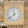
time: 11:38
